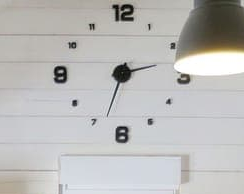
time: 2:33
